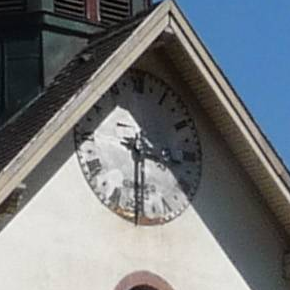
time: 3:30
